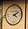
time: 4:09
